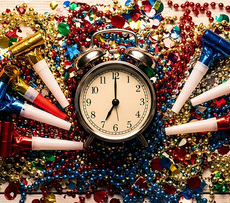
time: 7:00
